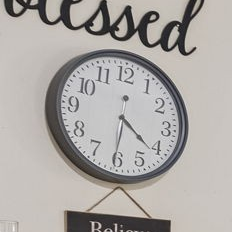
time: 4:21
